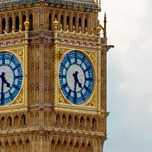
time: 4:31
